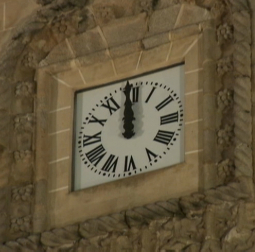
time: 11:59
